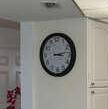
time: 3:13
